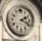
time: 2:18
